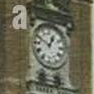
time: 12:49
